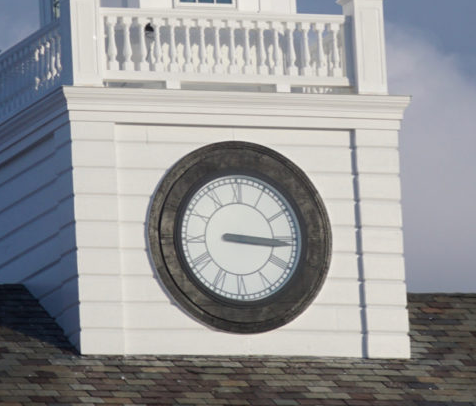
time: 3:15
